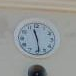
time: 11:28
